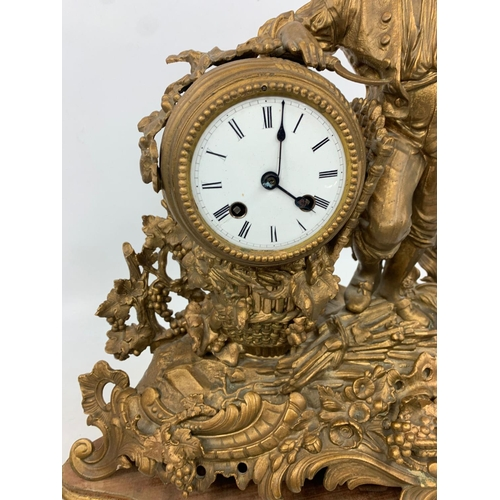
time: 4:02
